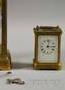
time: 12:14
